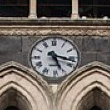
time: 5:17
